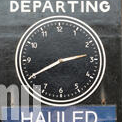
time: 2:40
